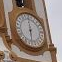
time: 5:59
